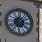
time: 12:07
